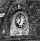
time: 11:36
